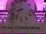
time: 8:36
